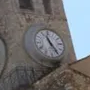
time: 11:24
